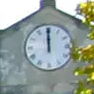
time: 11:59
